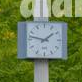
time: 1:47
